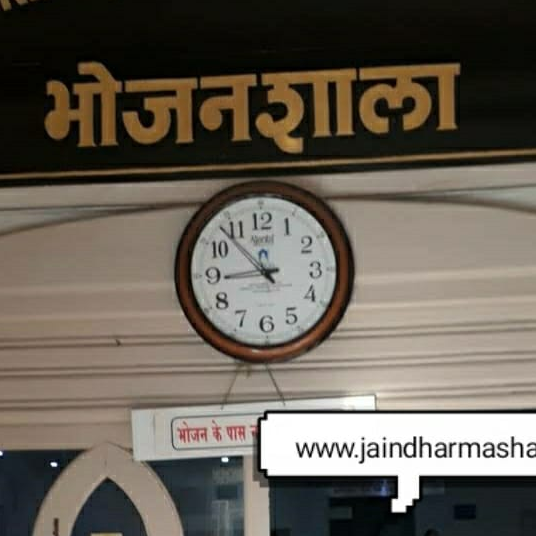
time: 8:53
